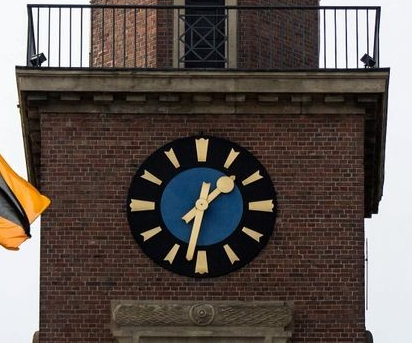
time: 1:32
